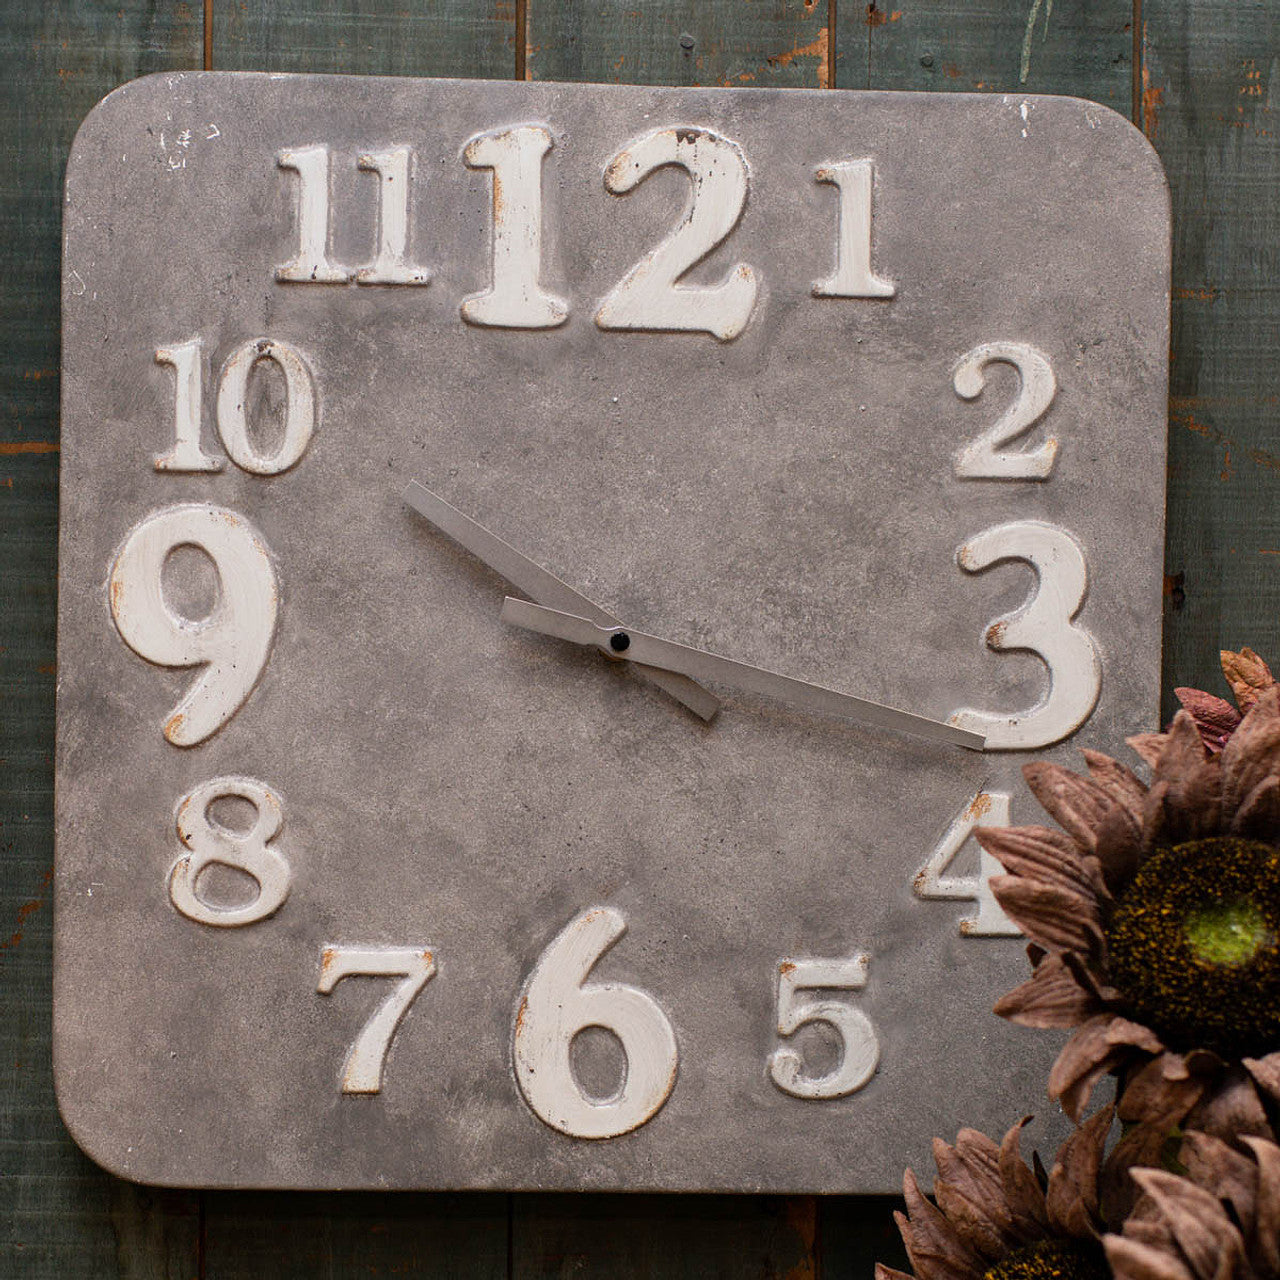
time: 10:17
